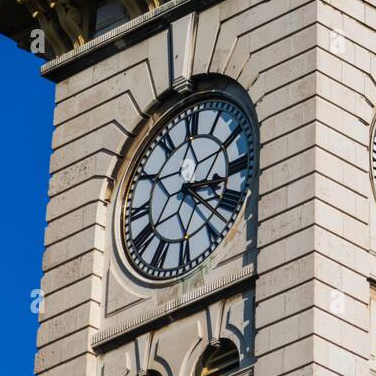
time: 3:22
